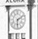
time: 6:10
